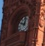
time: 10:02
